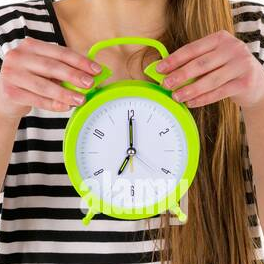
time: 7:00
